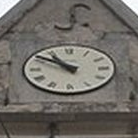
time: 10:50
